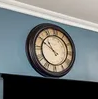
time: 10:50
